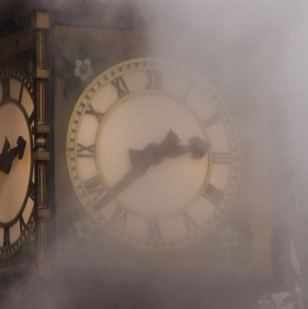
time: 2:38
